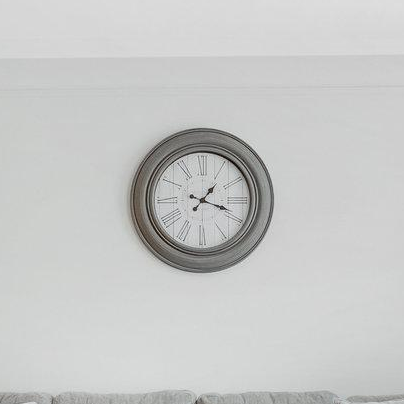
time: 1:18
